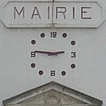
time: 2:46
